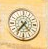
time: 7:22
